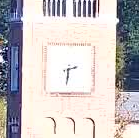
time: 2:32
